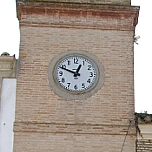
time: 12:48
